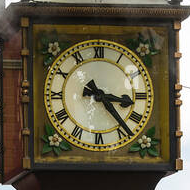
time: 3:23
